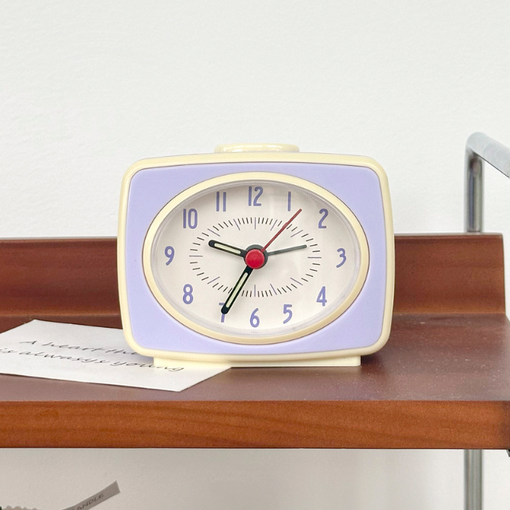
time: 9:34
